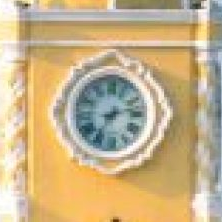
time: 7:12
